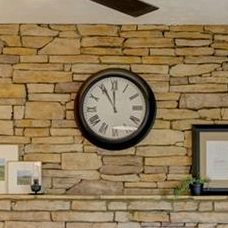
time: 11:55
